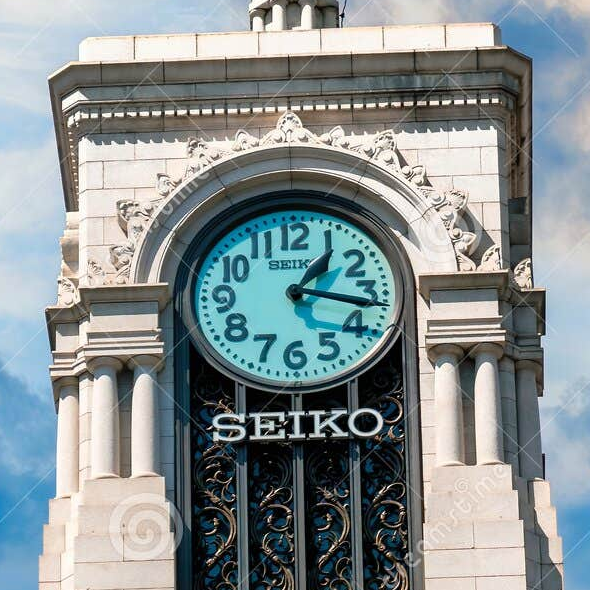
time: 1:16
